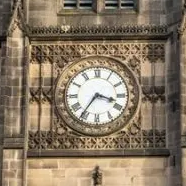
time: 3:35
